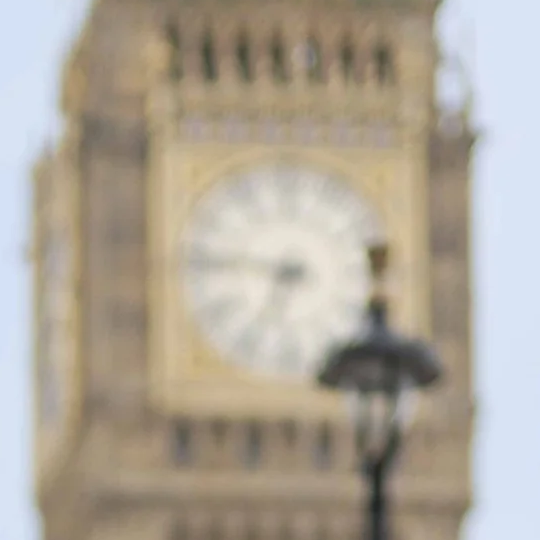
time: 6:46
